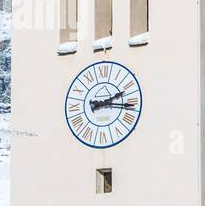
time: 2:16
